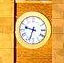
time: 9:33
